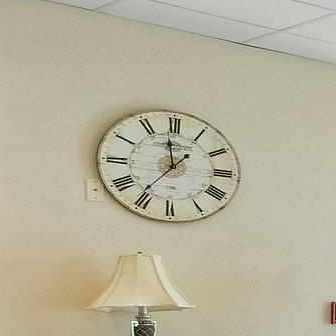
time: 11:36
